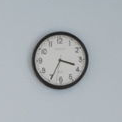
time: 3:34
